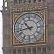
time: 10:43
